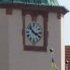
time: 3:51
